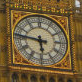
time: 5:46
